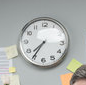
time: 7:35
